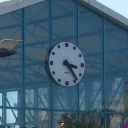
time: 3:23
